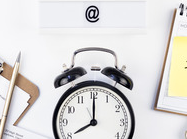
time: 8:00
